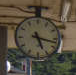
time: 5:17
